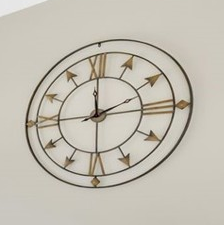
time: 2:00
